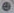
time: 9:01
